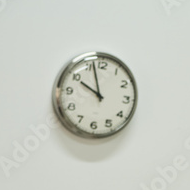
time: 9:56
